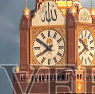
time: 7:50
